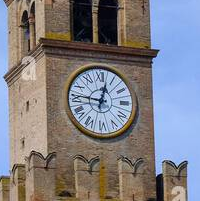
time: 12:46
